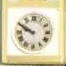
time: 9:50
